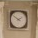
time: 1:51
